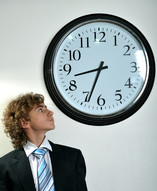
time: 8:33
